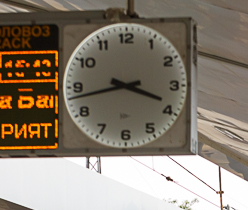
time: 3:43
